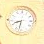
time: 8:32
